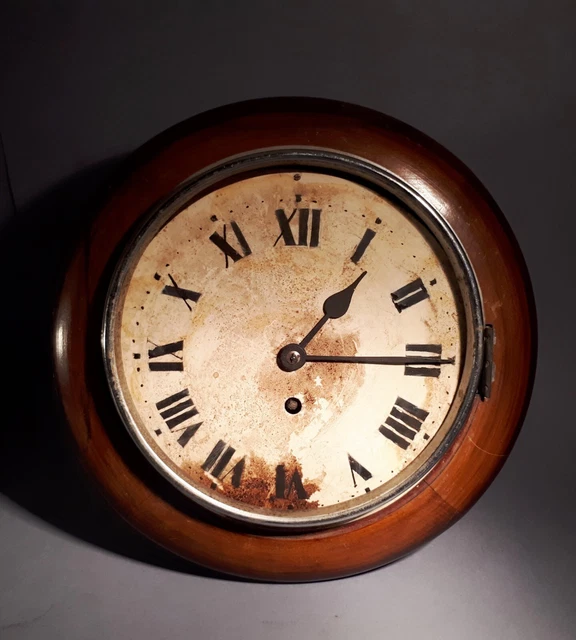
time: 1:14
